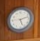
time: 5:12
